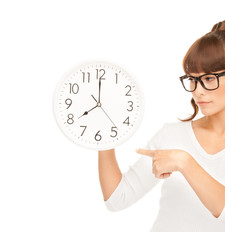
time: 7:59
